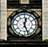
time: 12:26
